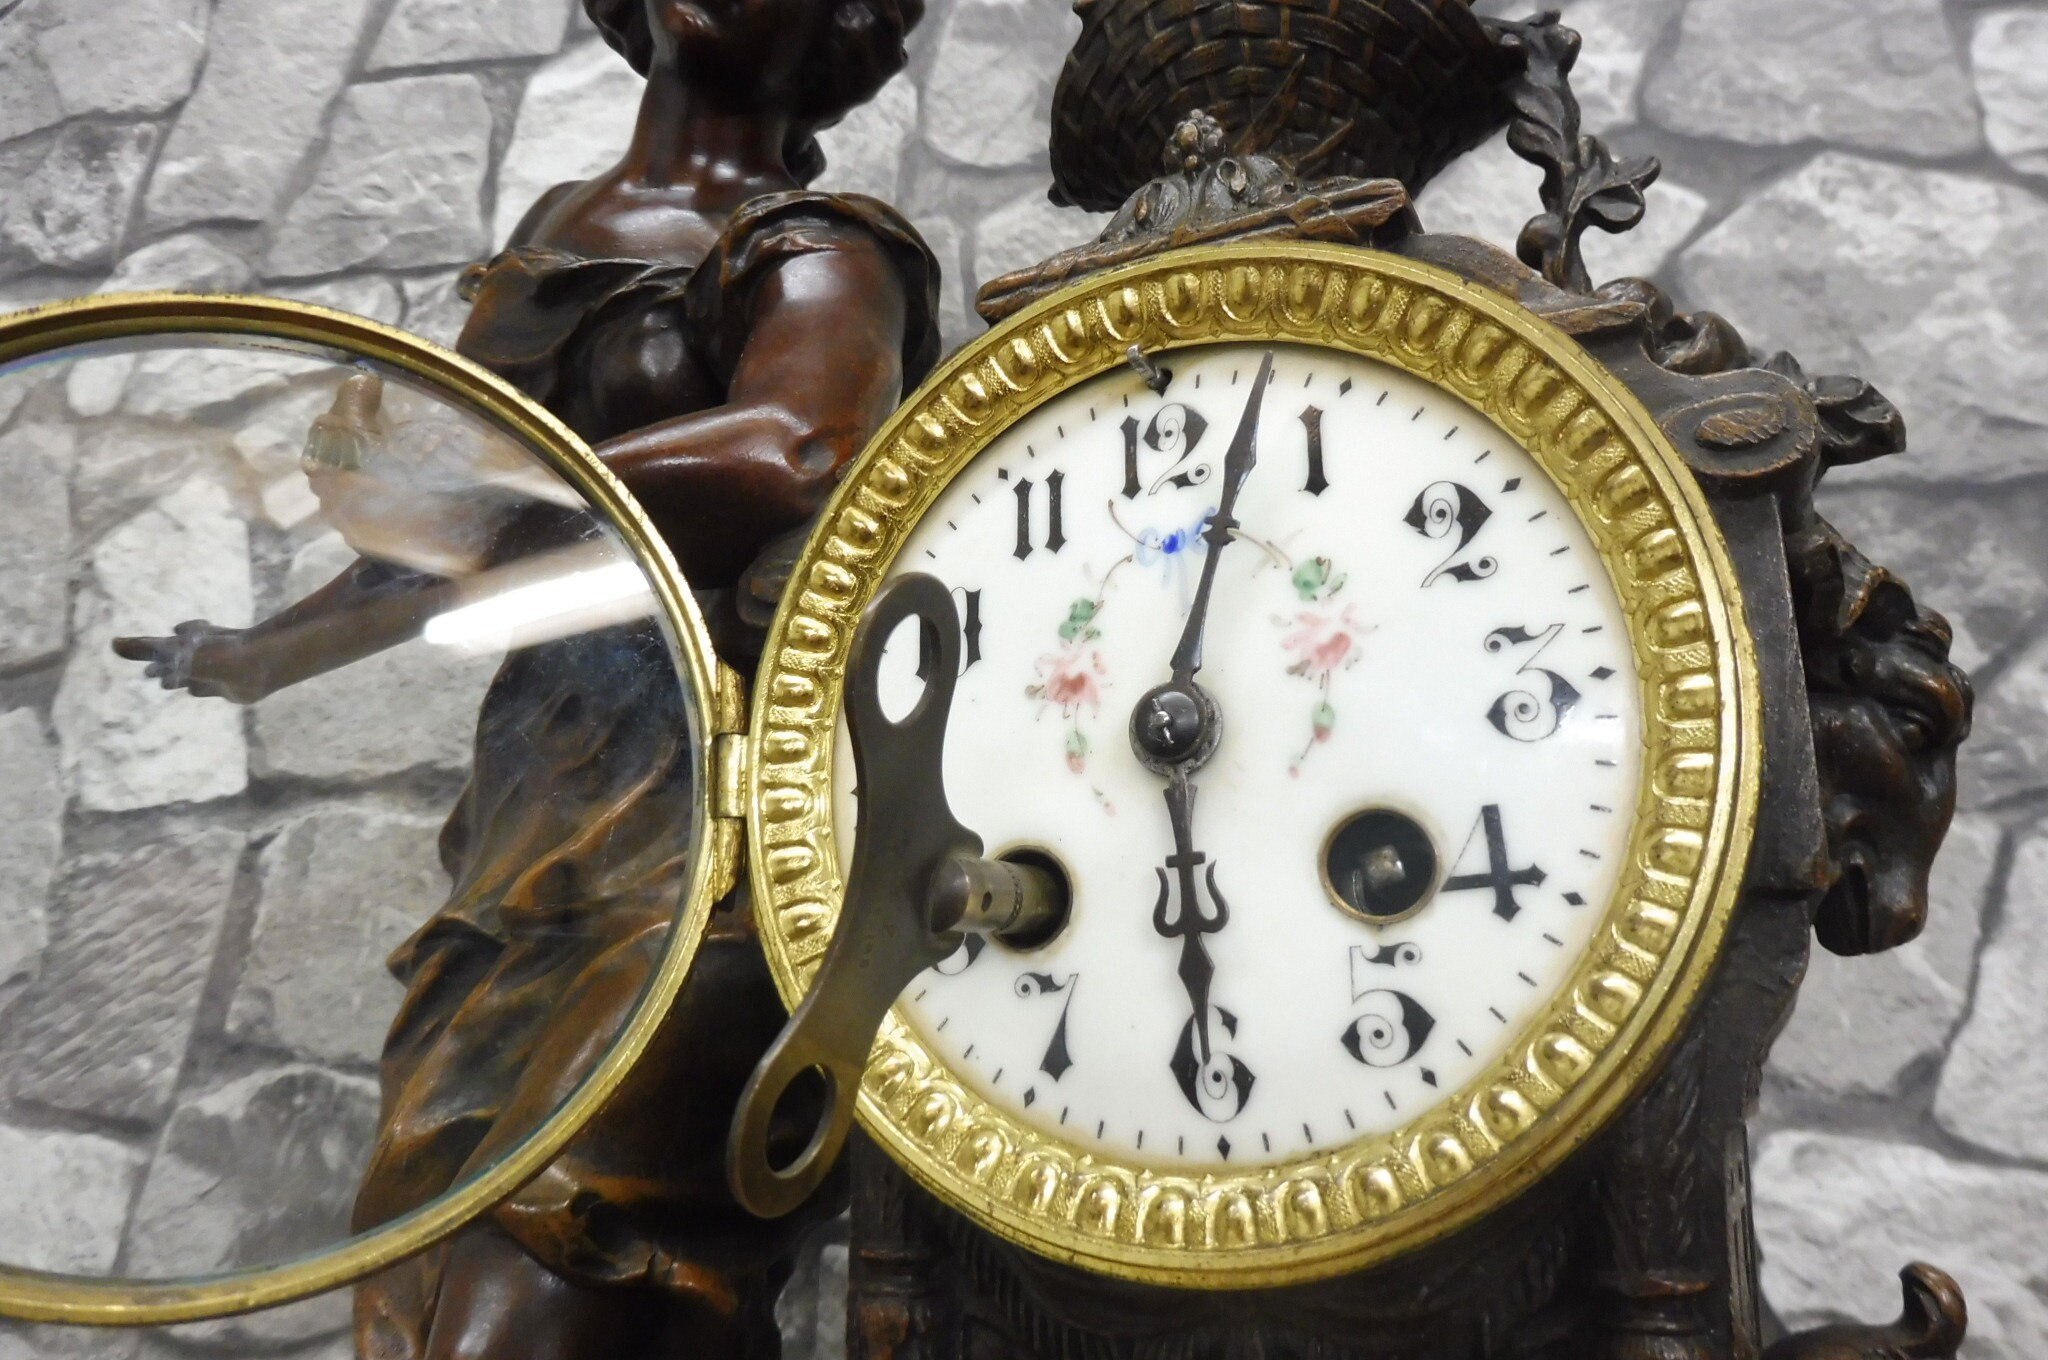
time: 6:02
